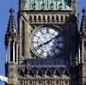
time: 8:09
